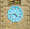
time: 4:44
